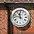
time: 11:46
